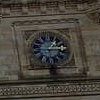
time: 1:13
